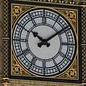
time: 10:09
